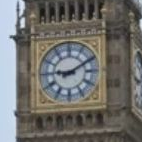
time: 9:10
